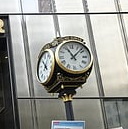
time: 11:07
